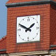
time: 1:49
